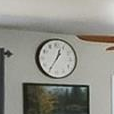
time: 12:35
